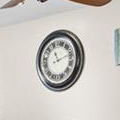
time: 11:11
